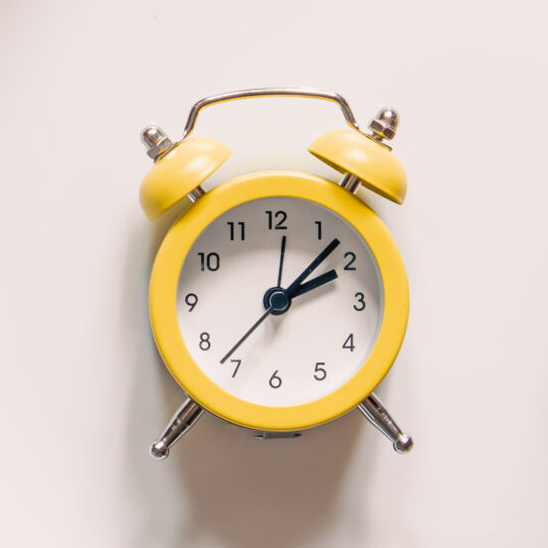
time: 2:07
